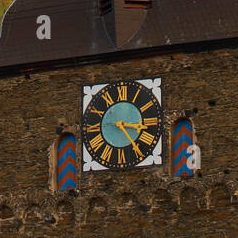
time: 3:23
